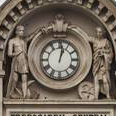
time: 1:02
